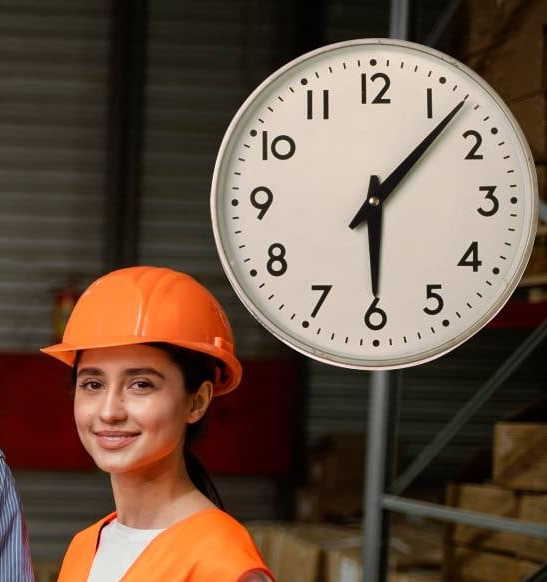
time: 6:07
